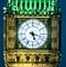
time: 5:18
